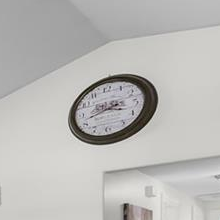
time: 3:42
